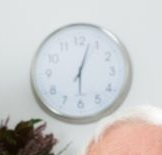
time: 6:03
